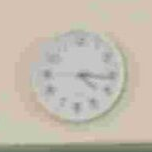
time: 4:16
